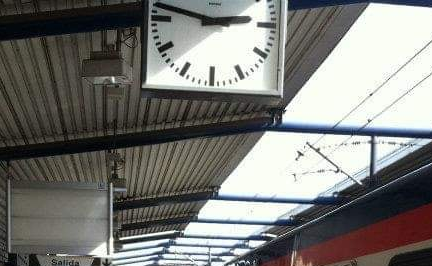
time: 2:46
